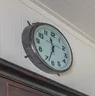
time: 11:33
